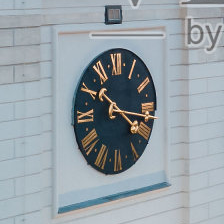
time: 10:20
